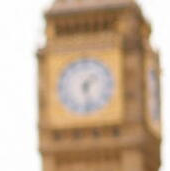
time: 1:28
